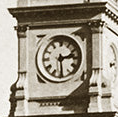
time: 2:29
